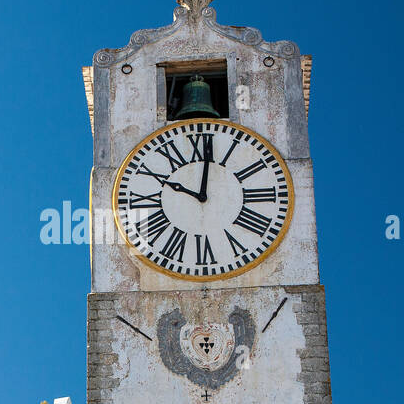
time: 10:01
